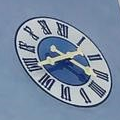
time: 3:39
